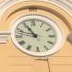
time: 10:47
